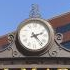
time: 2:23
